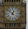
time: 12:52
